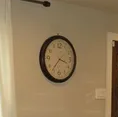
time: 3:36
